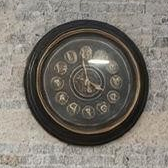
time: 3:58
